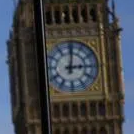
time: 3:01
